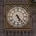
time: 5:23
